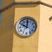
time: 10:00
